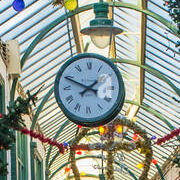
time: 1:49
